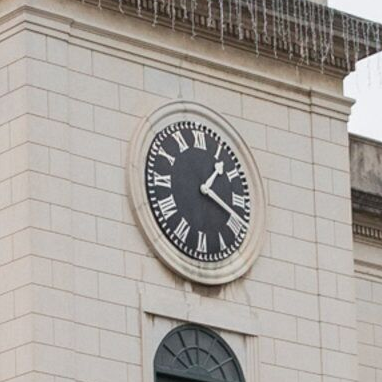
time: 1:18
